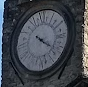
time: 4:20
